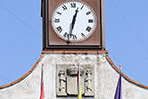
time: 12:32
